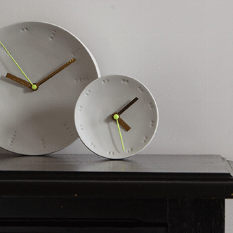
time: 4:06
